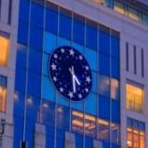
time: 4:28
